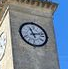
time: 11:12
